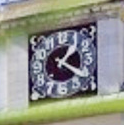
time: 1:21
